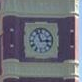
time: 2:56
